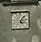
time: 5:06
